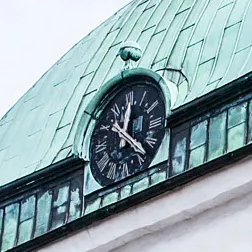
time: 12:22
